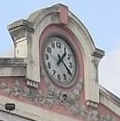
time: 1:20
